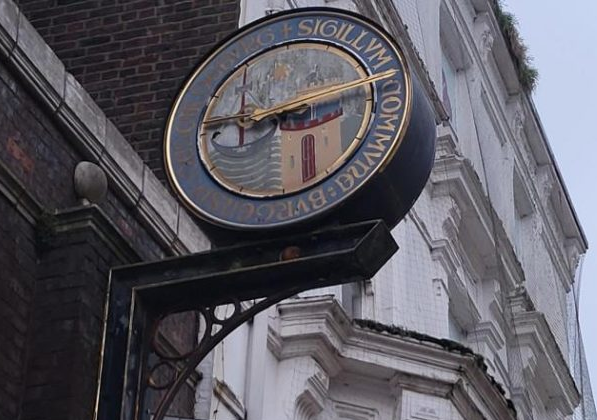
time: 8:45
